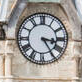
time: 3:24
